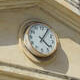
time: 4:04
